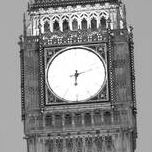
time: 6:12
